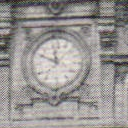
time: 11:49
